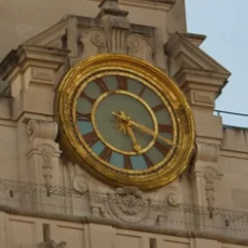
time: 5:18
